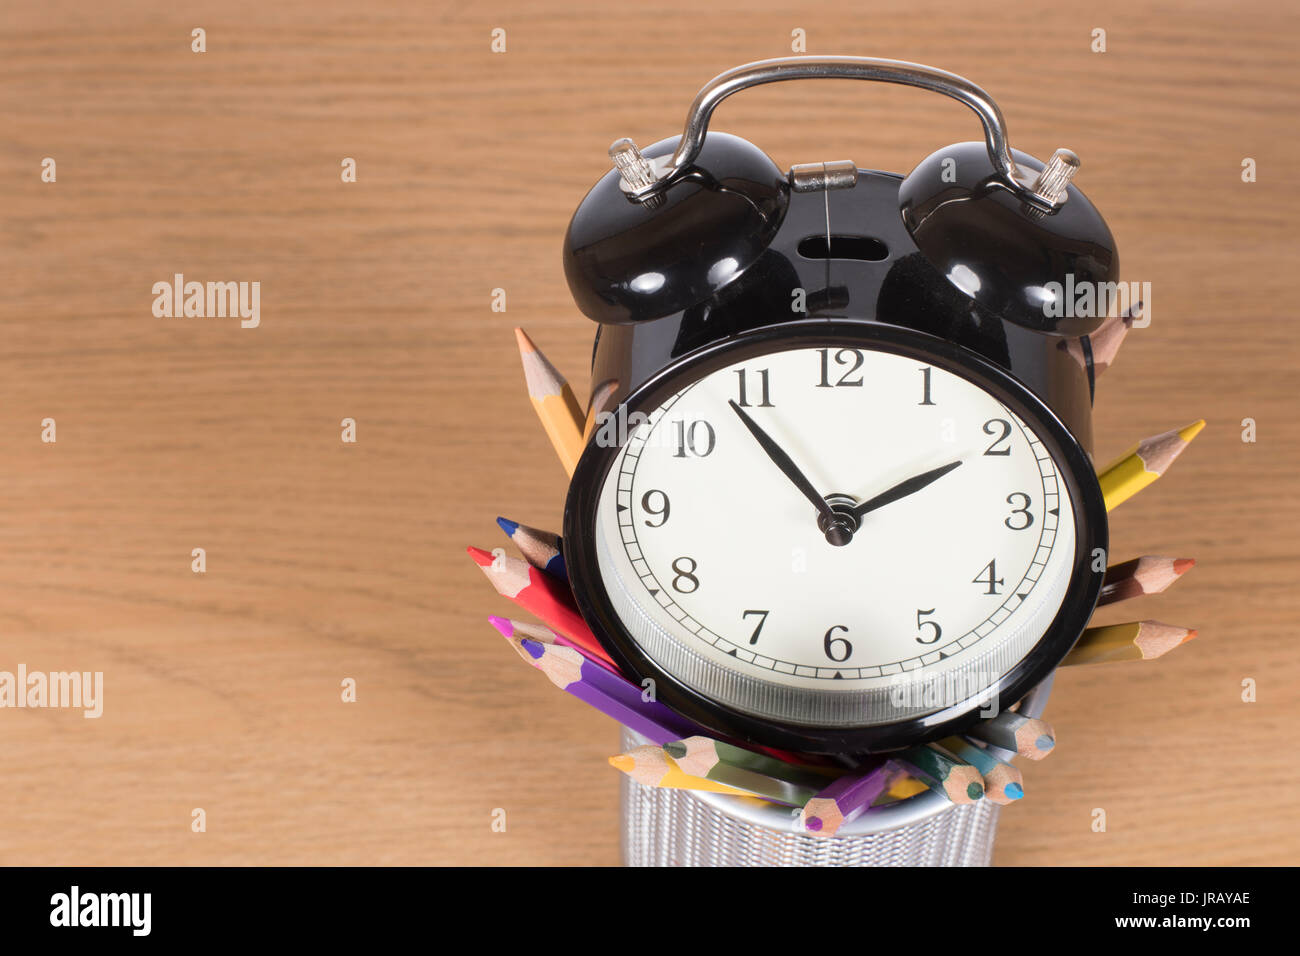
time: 1:54
